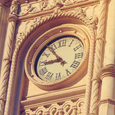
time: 8:53
